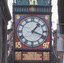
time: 1:18
